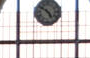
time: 4:50
